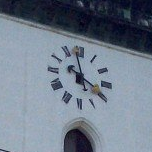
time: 3:58
